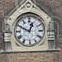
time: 12:49
